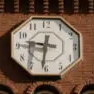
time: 9:31
